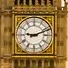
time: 9:11
